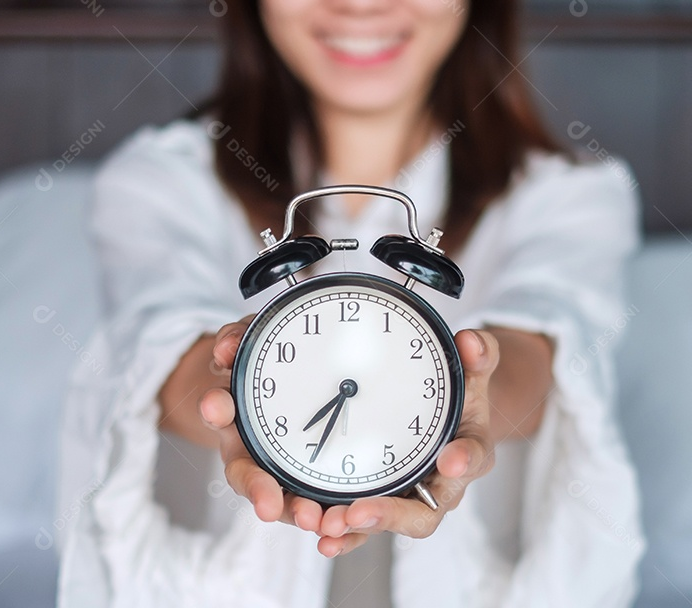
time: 7:34
